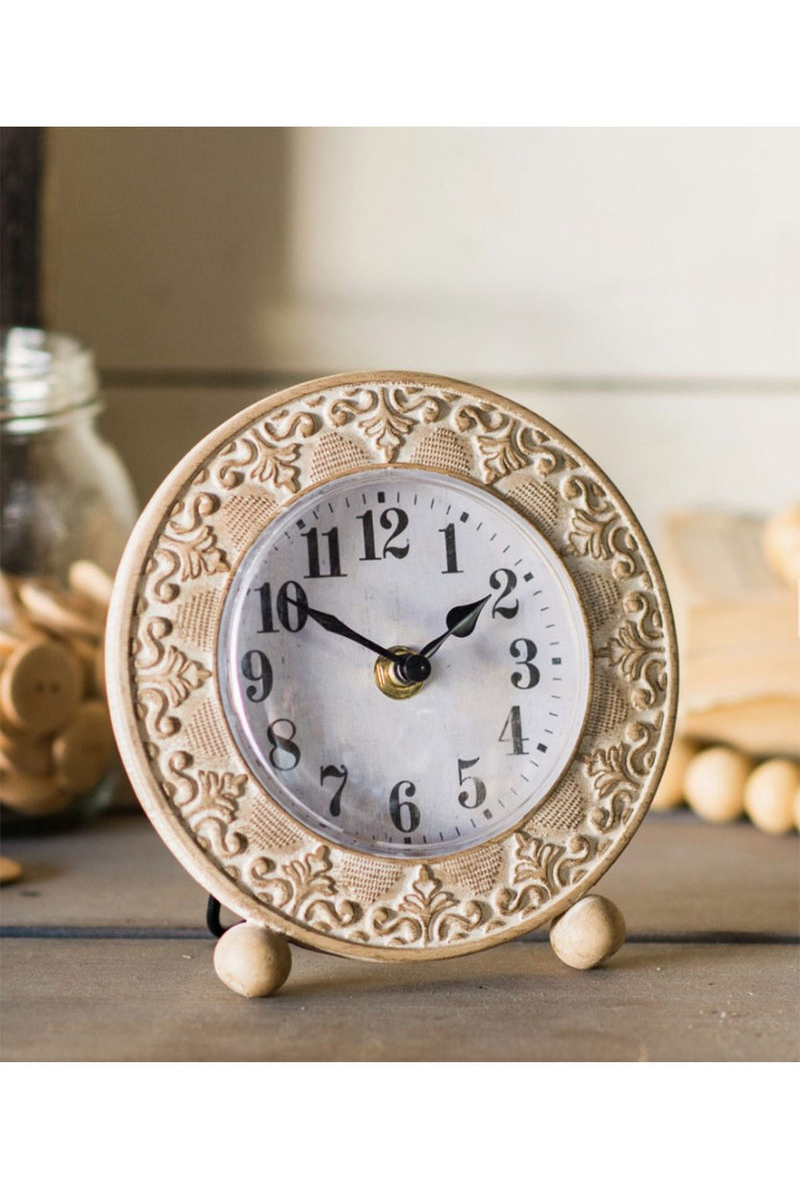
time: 1:50
